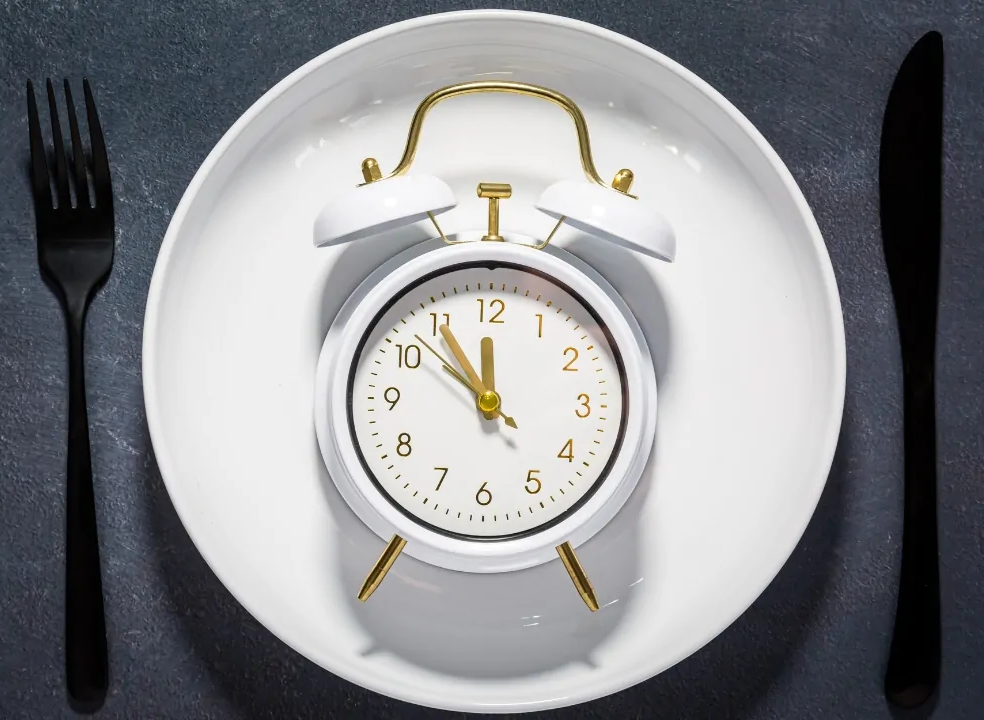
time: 11:53
